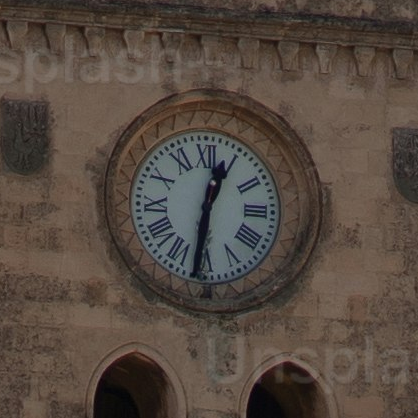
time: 12:31
